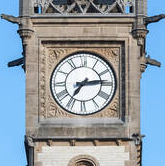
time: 7:13
